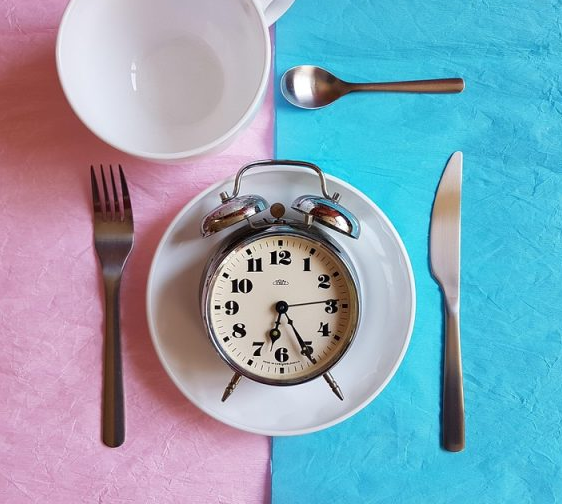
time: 6:25
